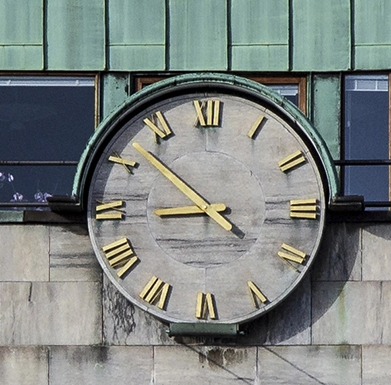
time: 8:52
